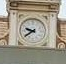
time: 9:39
